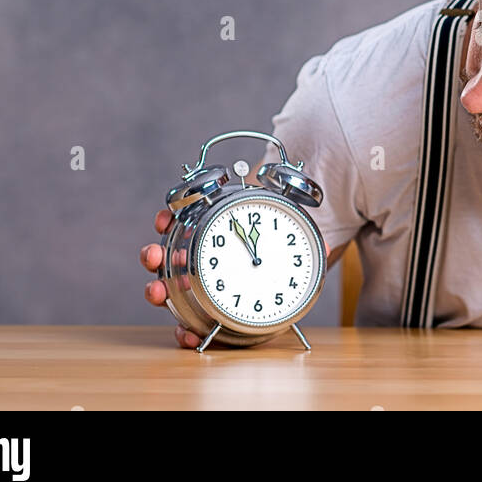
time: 11:55
